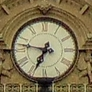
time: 6:47
